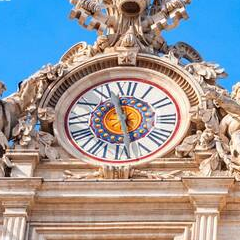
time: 11:27
